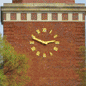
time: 2:48
